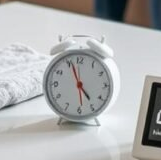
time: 4:56
